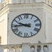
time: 9:43
